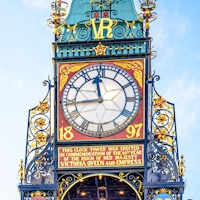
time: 11:43
